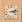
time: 3:12
